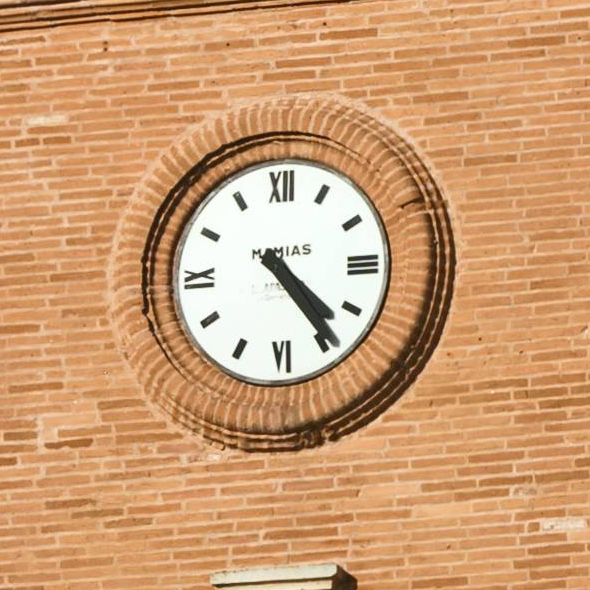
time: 4:23
